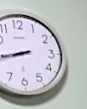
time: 8:43
